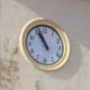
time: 10:56
